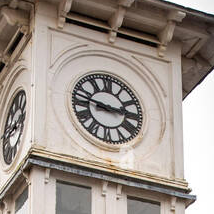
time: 2:46
